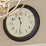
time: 11:31
